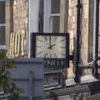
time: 1:59
